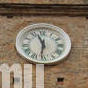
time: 11:31
